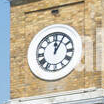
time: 12:05
